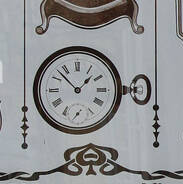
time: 1:52
